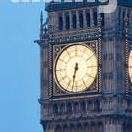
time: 6:32
